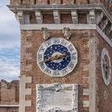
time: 2:40
